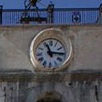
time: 11:15
